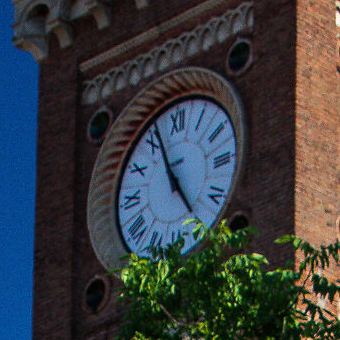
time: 4:56
